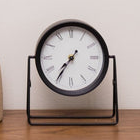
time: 7:35
